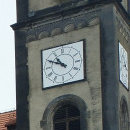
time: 10:49
